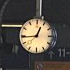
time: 12:44
